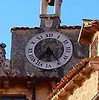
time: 7:24
